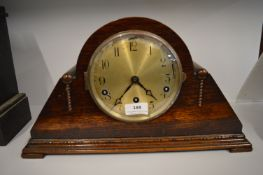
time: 4:35
